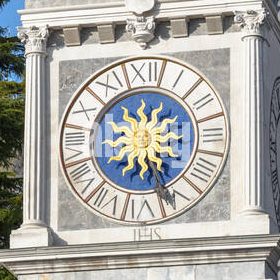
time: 5:26
